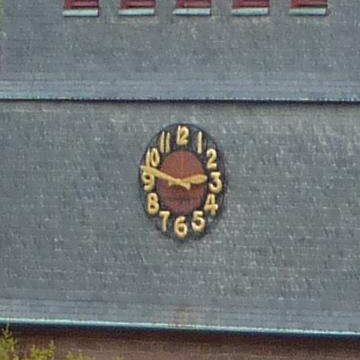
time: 2:48
